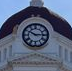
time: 10:14
